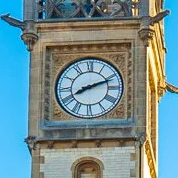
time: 8:11
